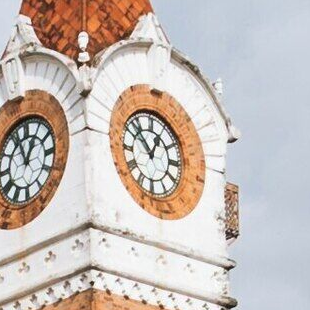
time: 12:52
